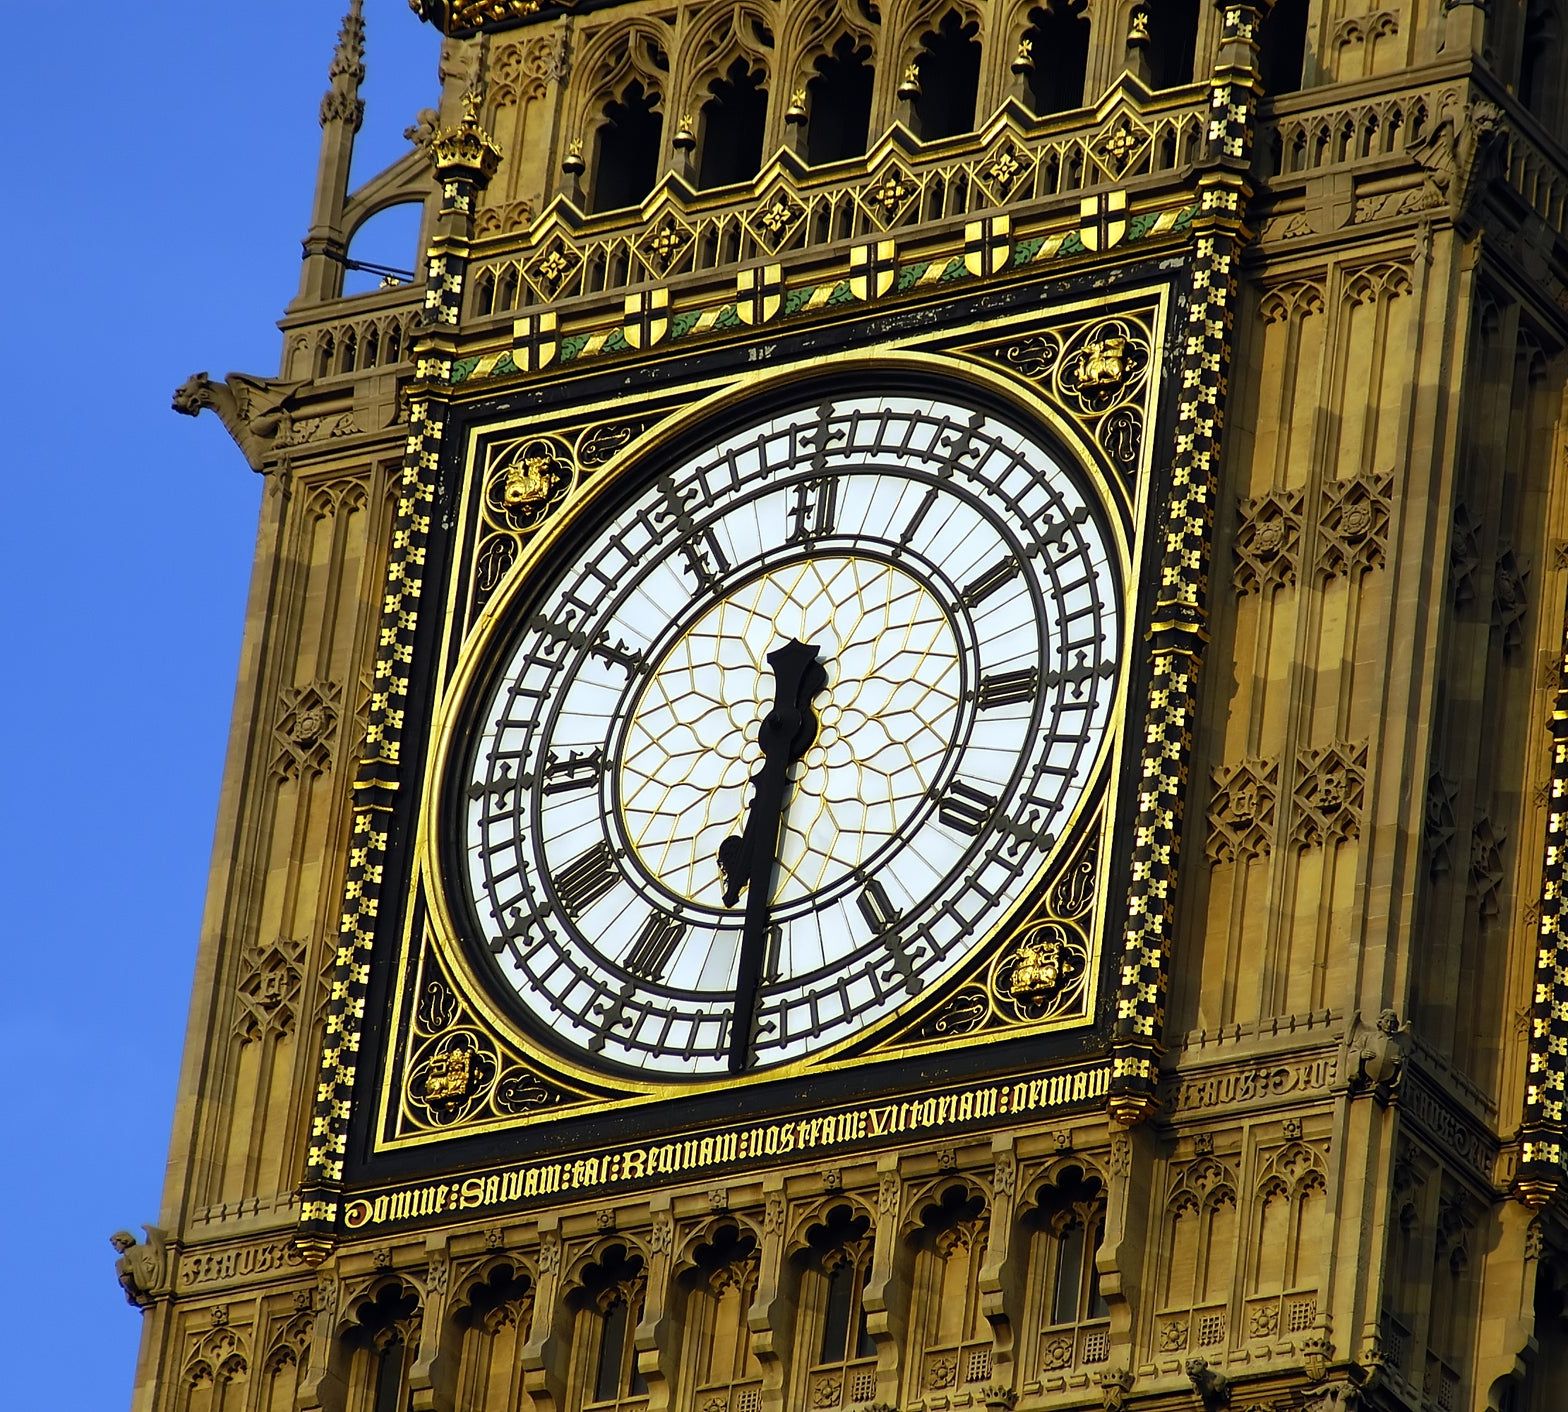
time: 6:30
